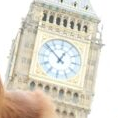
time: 12:52
